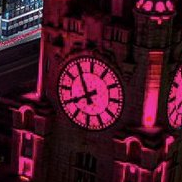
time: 7:54
